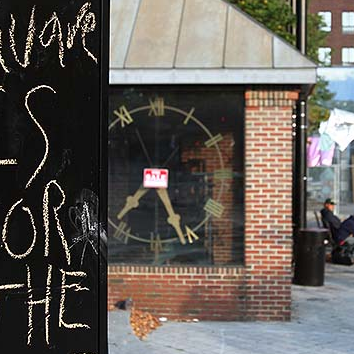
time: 7:25
